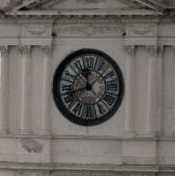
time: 11:42
